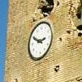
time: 2:49
